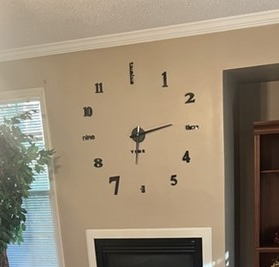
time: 6:13
